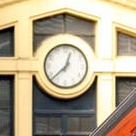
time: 12:37
